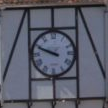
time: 9:48
